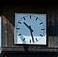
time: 10:28
